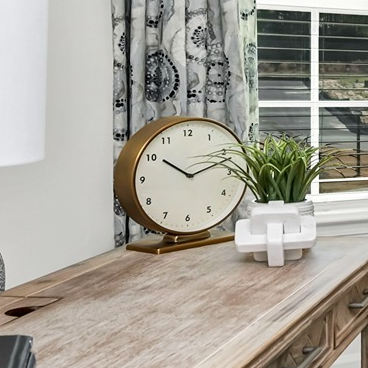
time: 10:11
